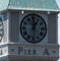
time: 12:59
